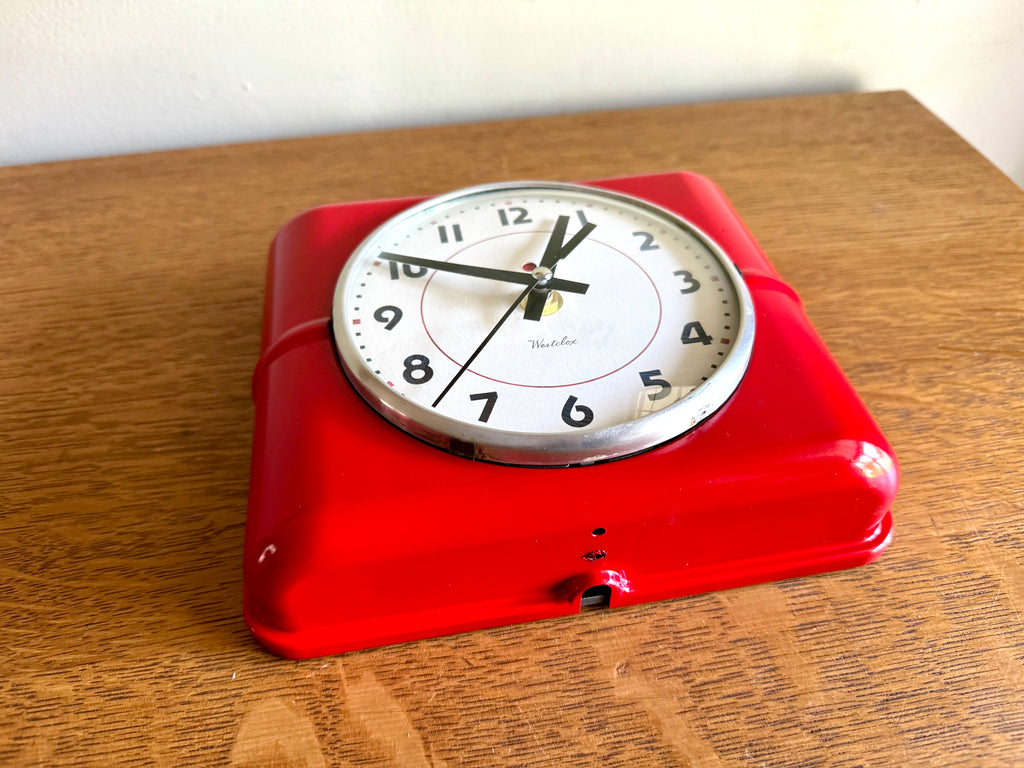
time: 12:50
